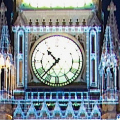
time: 10:37
